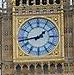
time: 1:43
